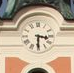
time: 3:30
